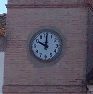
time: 10:00
